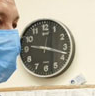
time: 9:17
